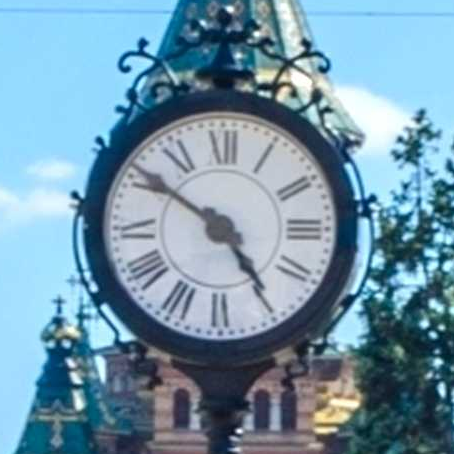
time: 4:50
